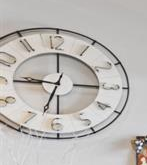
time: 6:44
